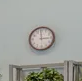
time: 2:59
